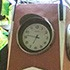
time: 6:47
